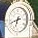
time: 6:41
